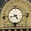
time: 4:42
